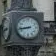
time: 8:43
